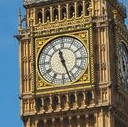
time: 11:26
